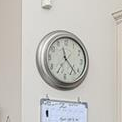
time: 11:22
